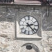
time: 2:23
